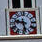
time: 9:28
